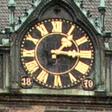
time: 1:16
